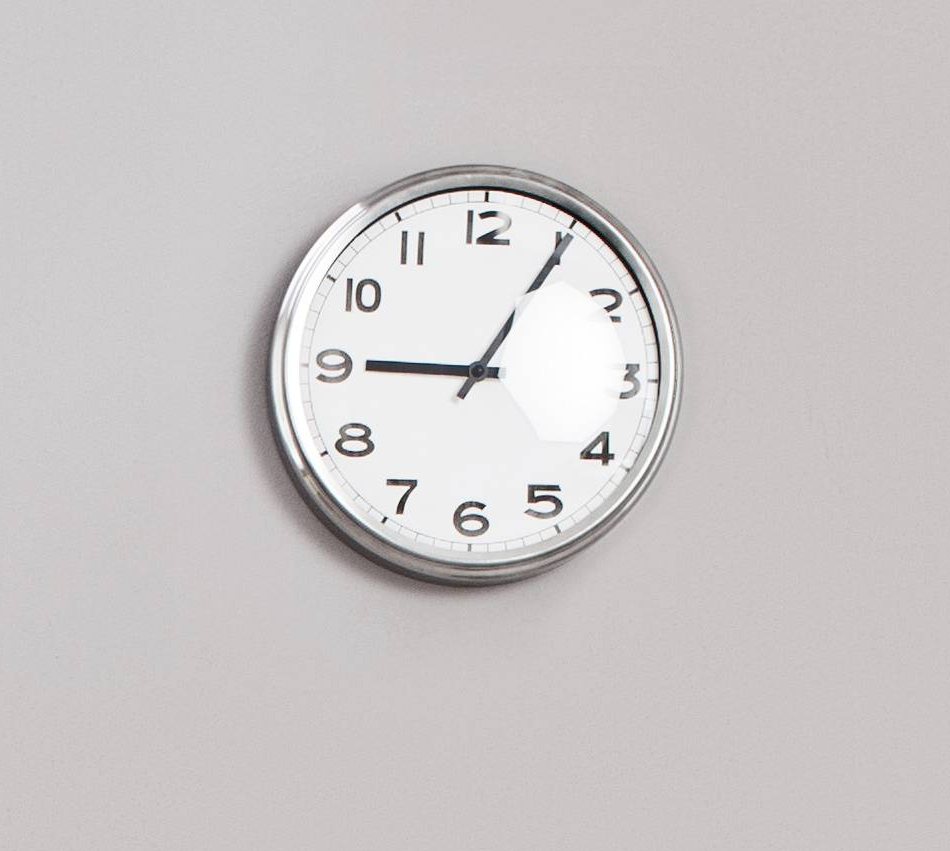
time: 9:05
